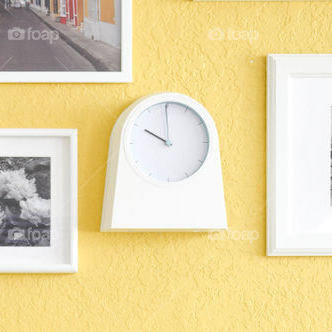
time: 9:59
